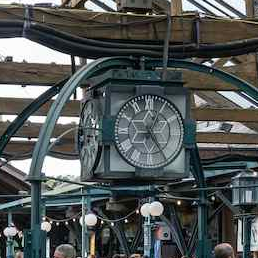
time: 12:24
